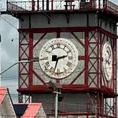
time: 2:32
